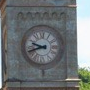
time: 9:41
